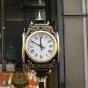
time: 11:48
